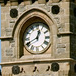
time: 12:40
